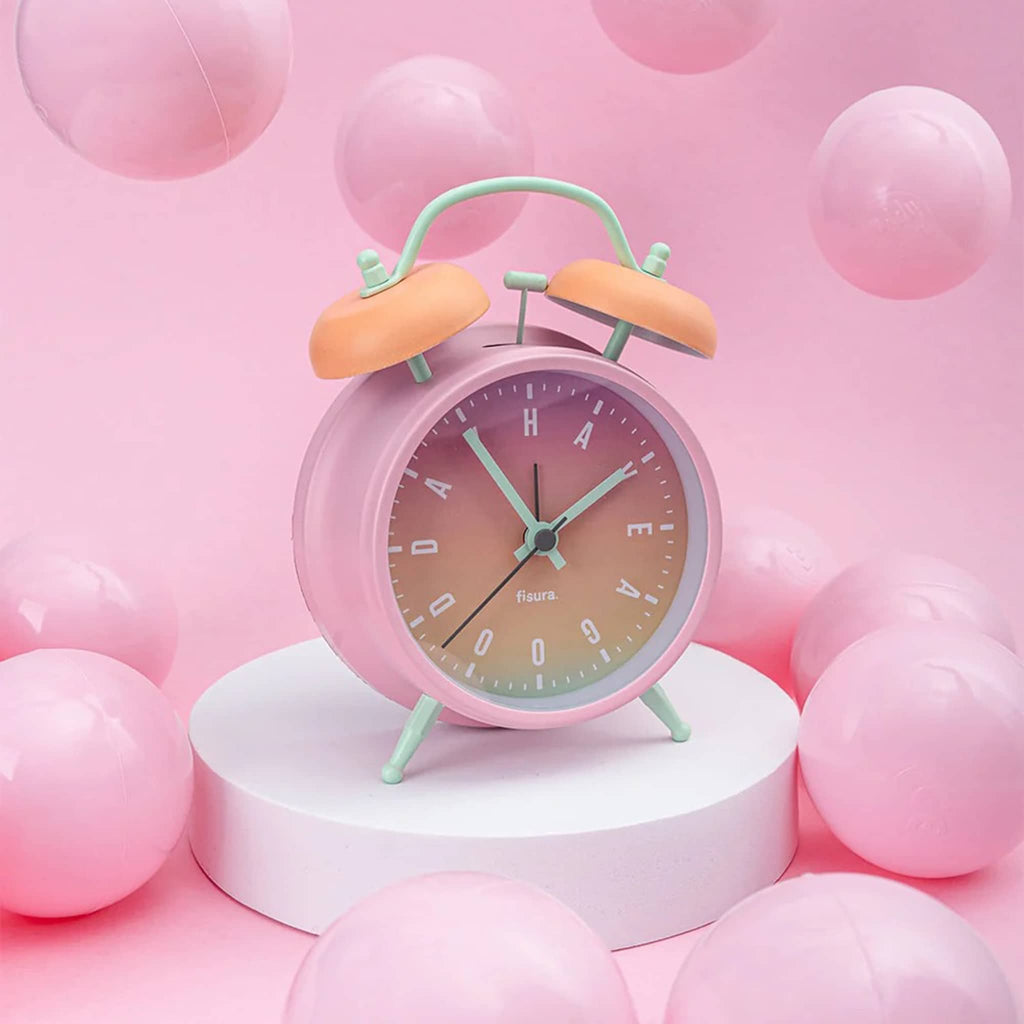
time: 1:54
